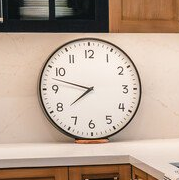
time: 7:47
